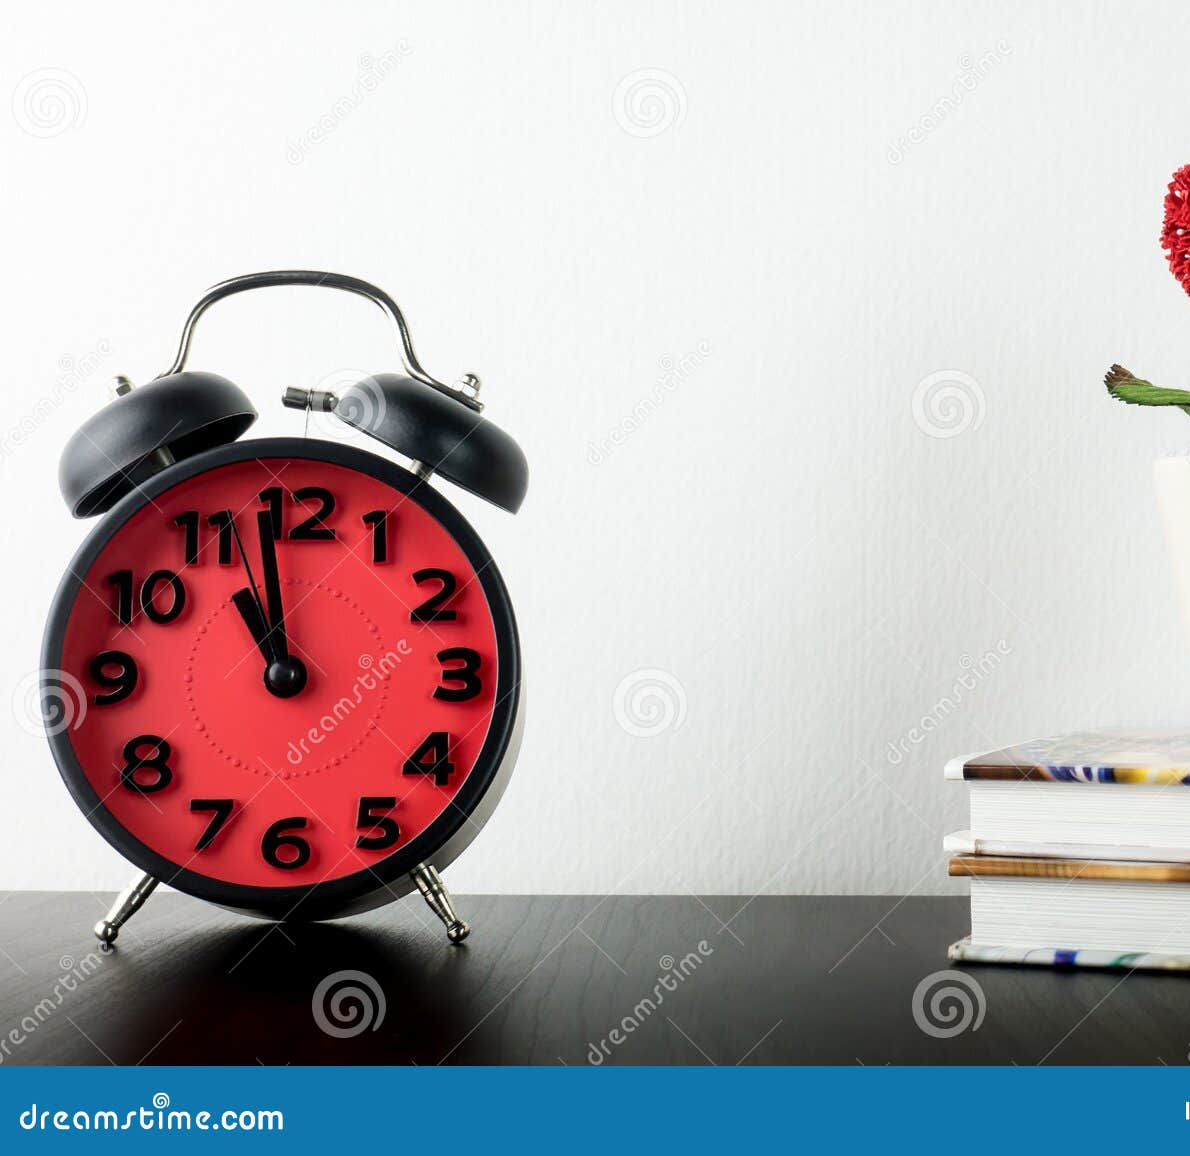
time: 10:58
